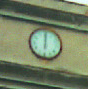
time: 5:59
